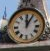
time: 12:05
